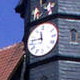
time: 11:46
